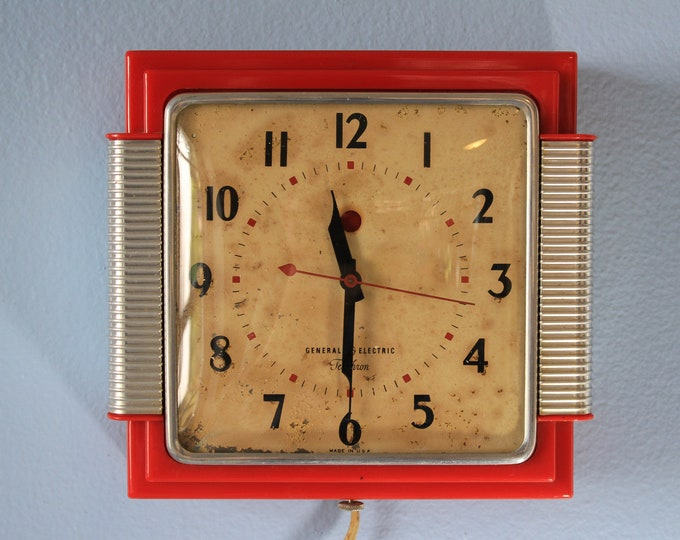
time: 11:29
